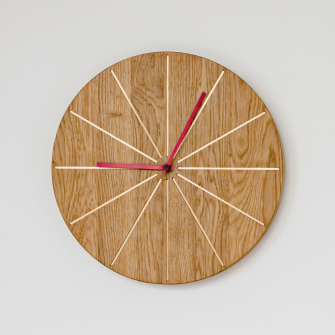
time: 12:45
